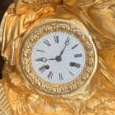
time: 9:05
